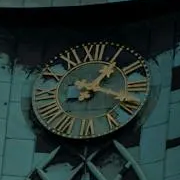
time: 1:18
